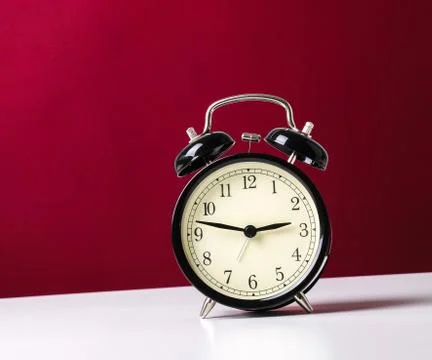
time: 2:47
